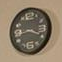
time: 3:43
